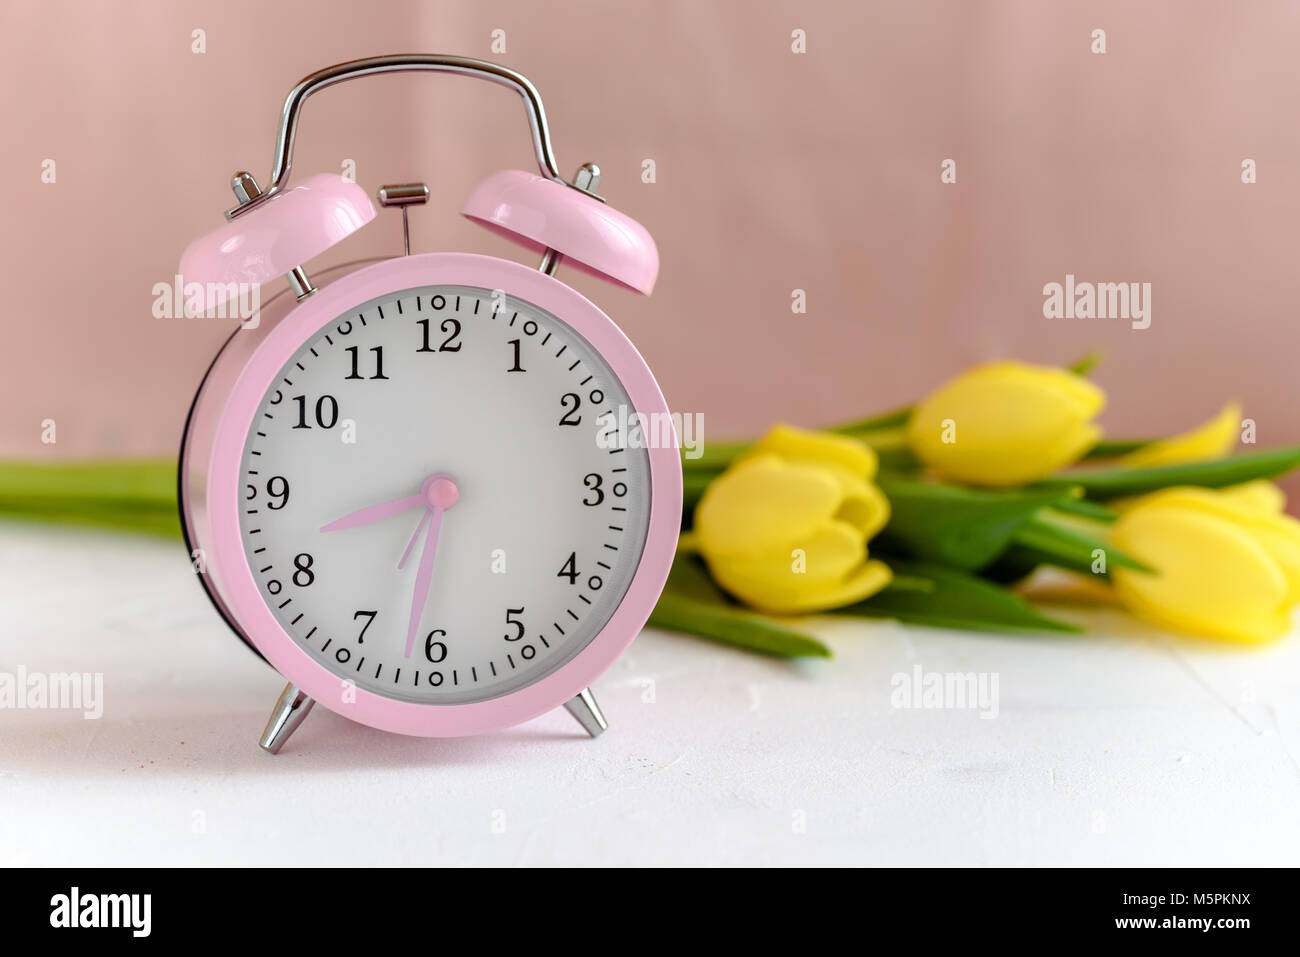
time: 8:31
